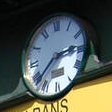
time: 2:38
